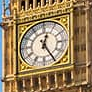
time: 12:24
